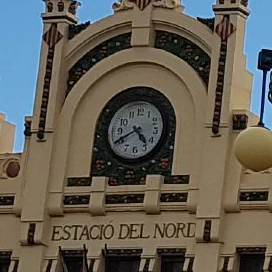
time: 4:40
